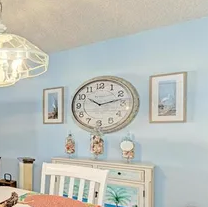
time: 10:12
